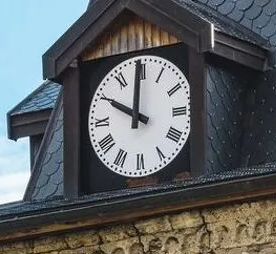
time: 9:59
